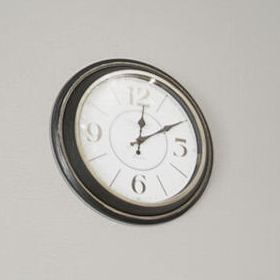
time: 12:10
